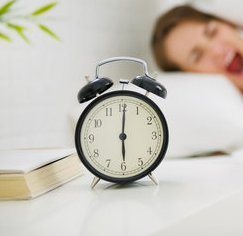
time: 6:00
